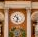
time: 10:32
